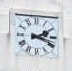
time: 2:18
